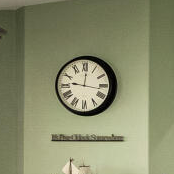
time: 12:16
